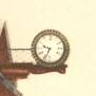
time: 9:34
